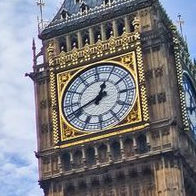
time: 12:41
